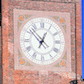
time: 12:52
